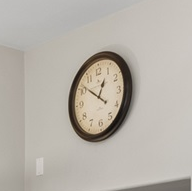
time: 12:51
